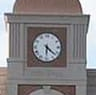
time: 6:21
